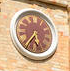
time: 5:35
